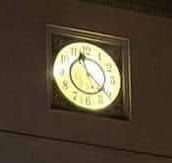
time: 11:21
